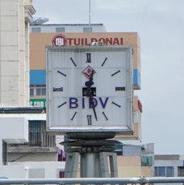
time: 12:28
